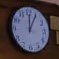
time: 12:04
